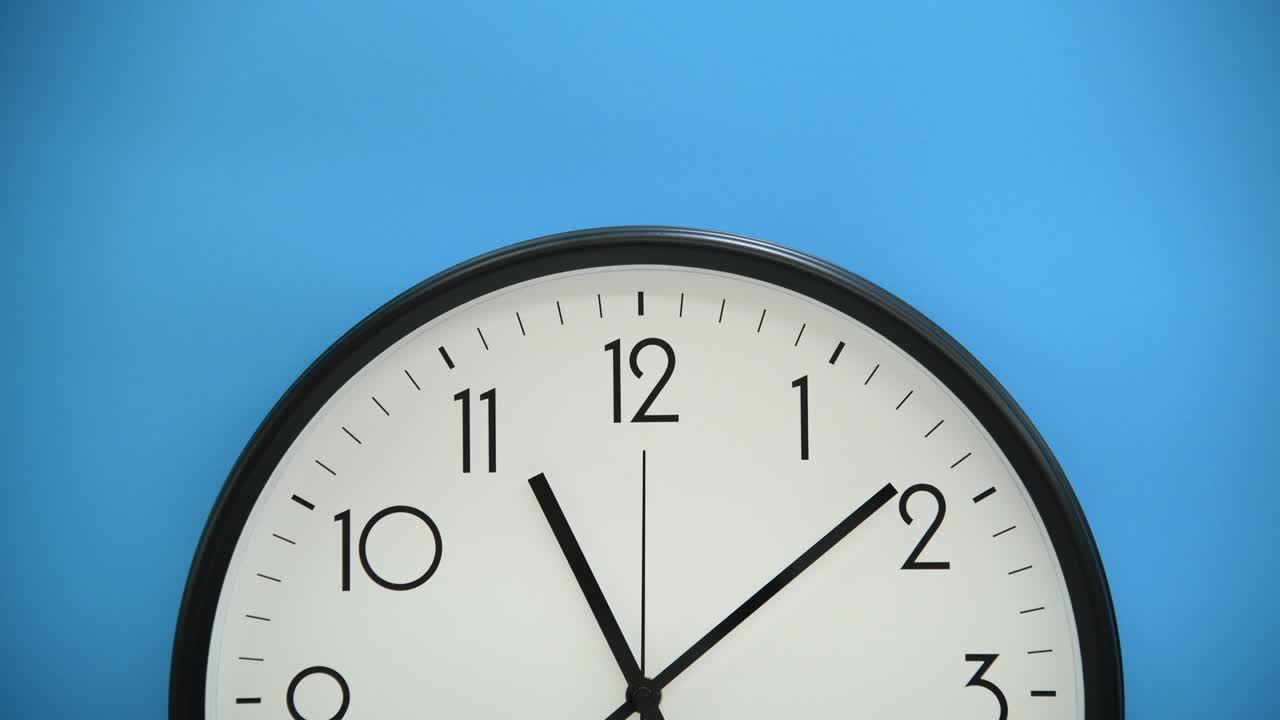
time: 11:08
